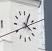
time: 12:40
